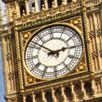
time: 2:52
